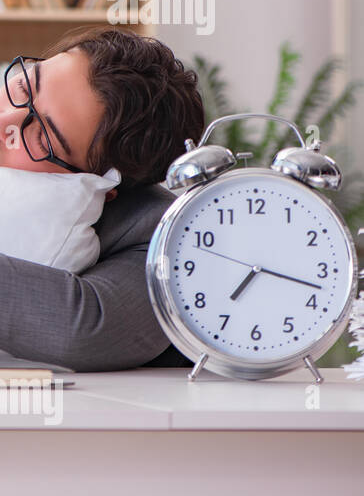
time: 7:17
